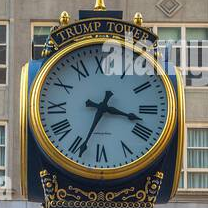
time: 3:34
